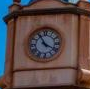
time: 3:55
